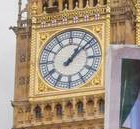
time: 1:08
